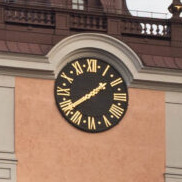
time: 1:38
